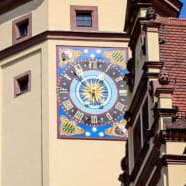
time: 4:52
